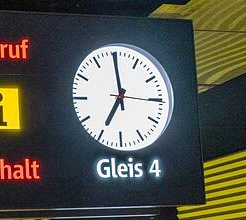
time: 6:59
